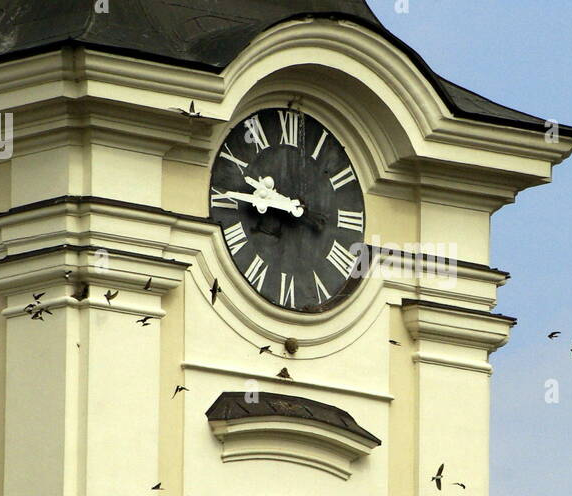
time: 9:45
